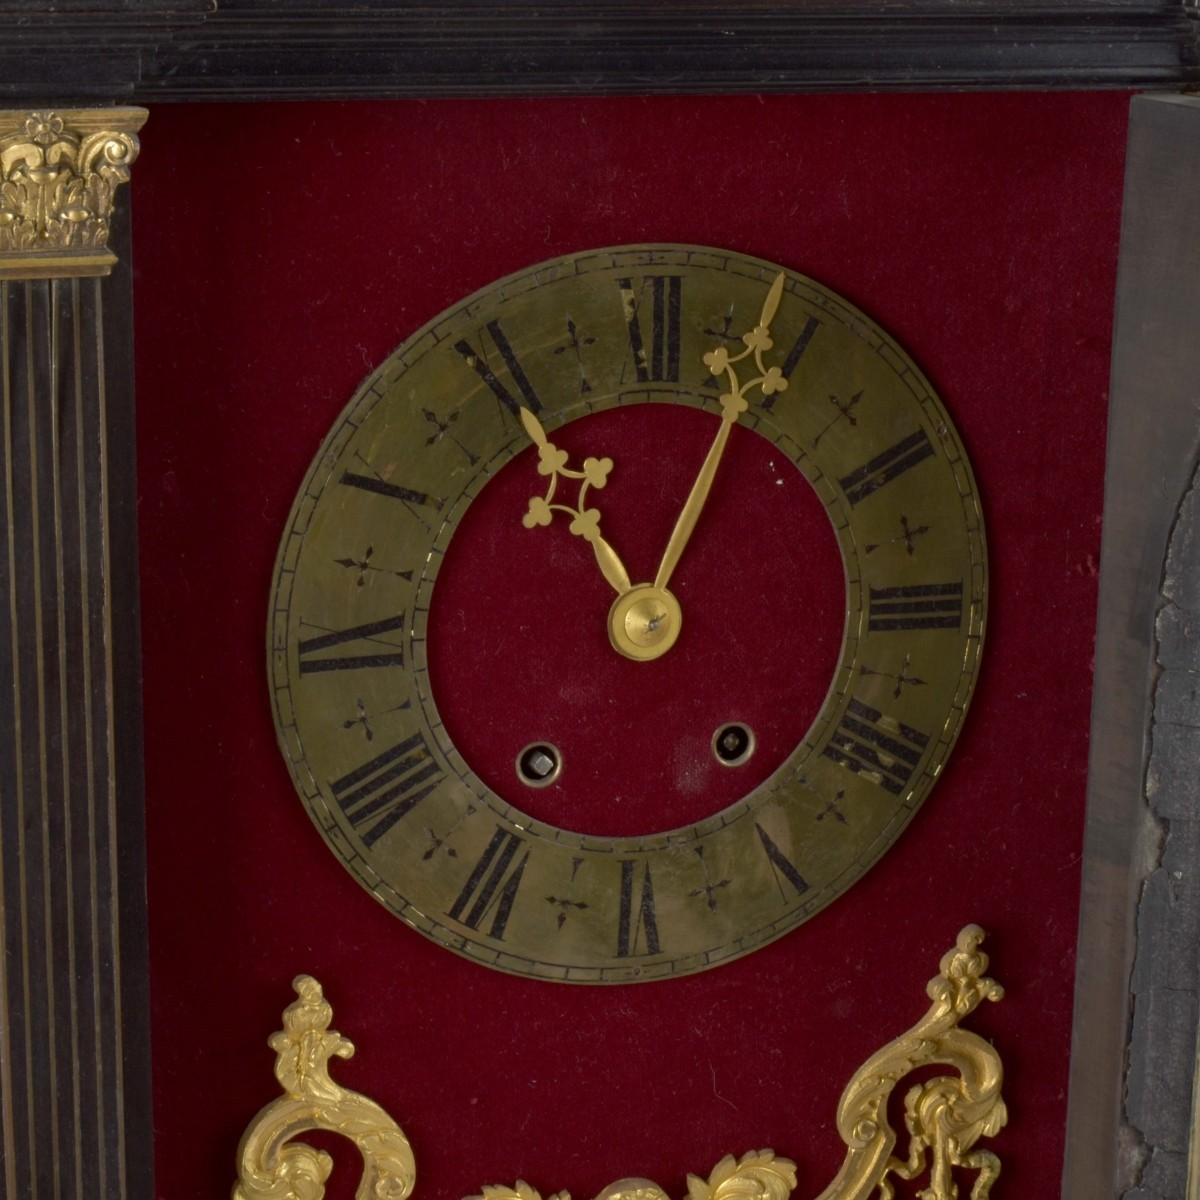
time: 11:04
